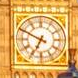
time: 6:49
